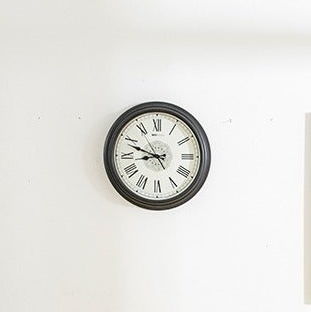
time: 8:48
